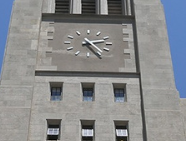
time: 2:25
